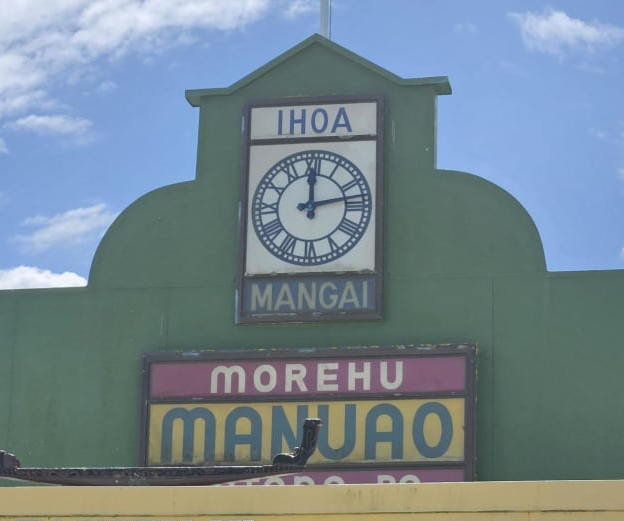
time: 12:13
